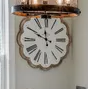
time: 11:49
